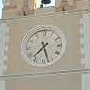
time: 7:27
